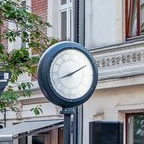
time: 8:10
